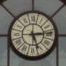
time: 5:14
